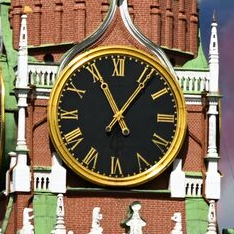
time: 11:06
